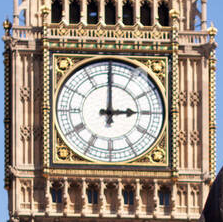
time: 3:00
